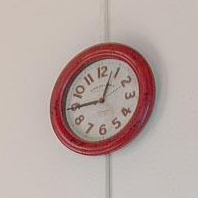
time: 12:44
